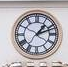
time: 1:11
